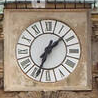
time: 1:34
